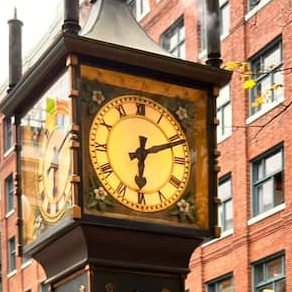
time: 6:11
